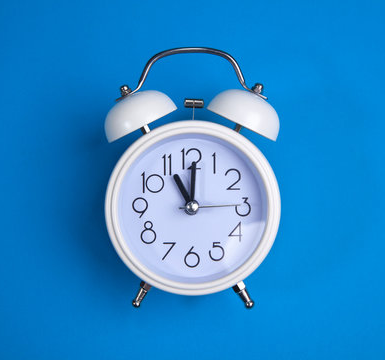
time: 11:01
